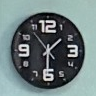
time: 1:30
